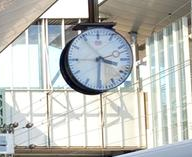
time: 3:30
